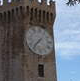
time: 7:37
